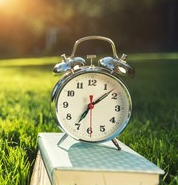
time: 7:08
